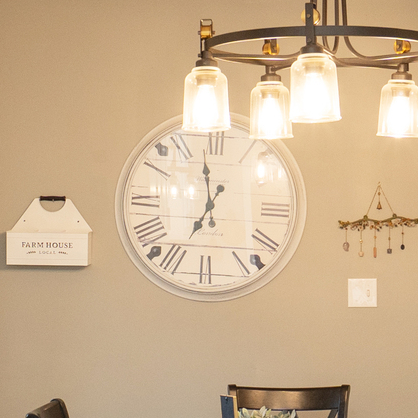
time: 6:58
